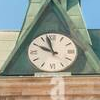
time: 9:57
